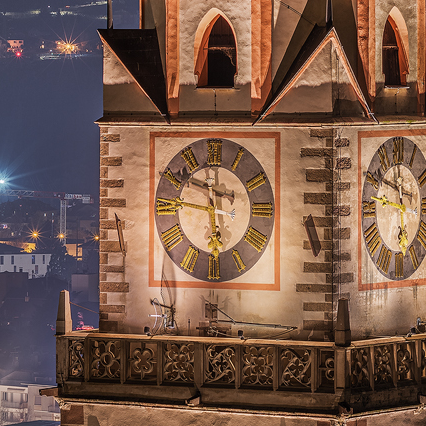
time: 5:45
